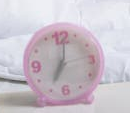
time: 7:01
